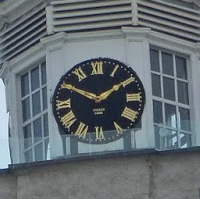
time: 1:50
